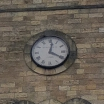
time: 12:19
